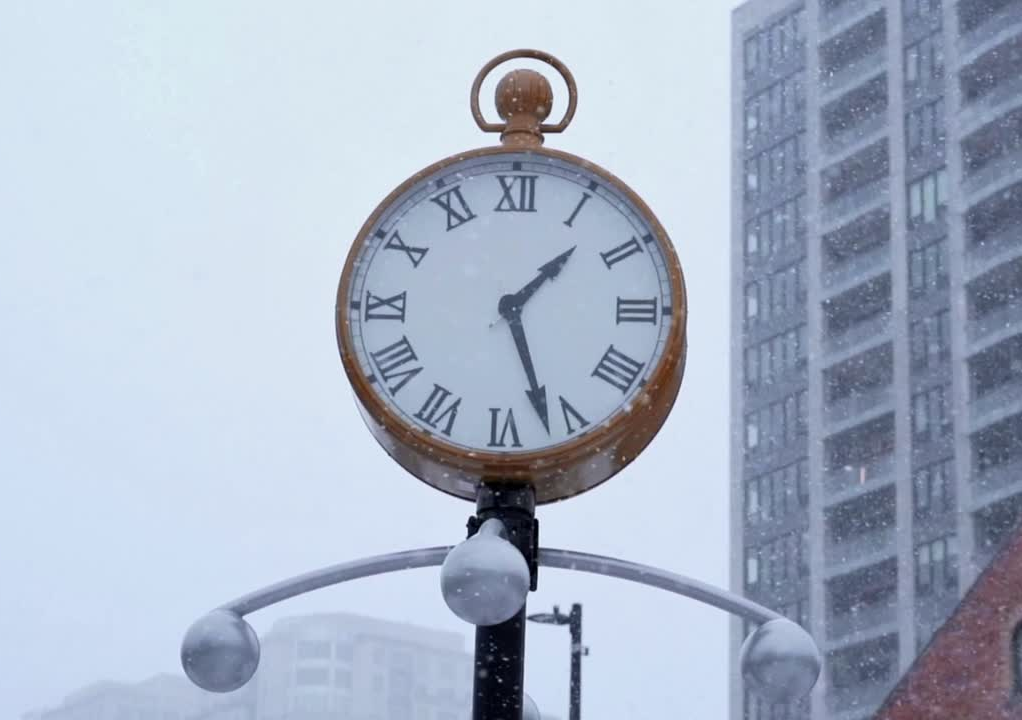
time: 1:26
